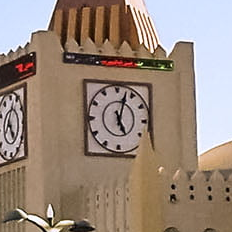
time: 5:02
